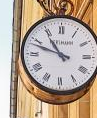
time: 10:48
